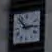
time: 2:52
